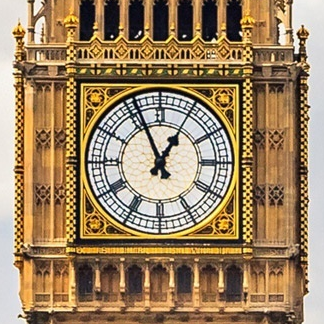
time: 12:56
